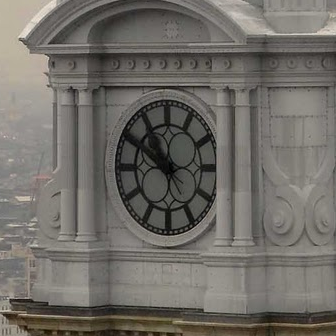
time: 10:50
